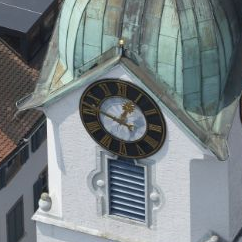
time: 12:47
